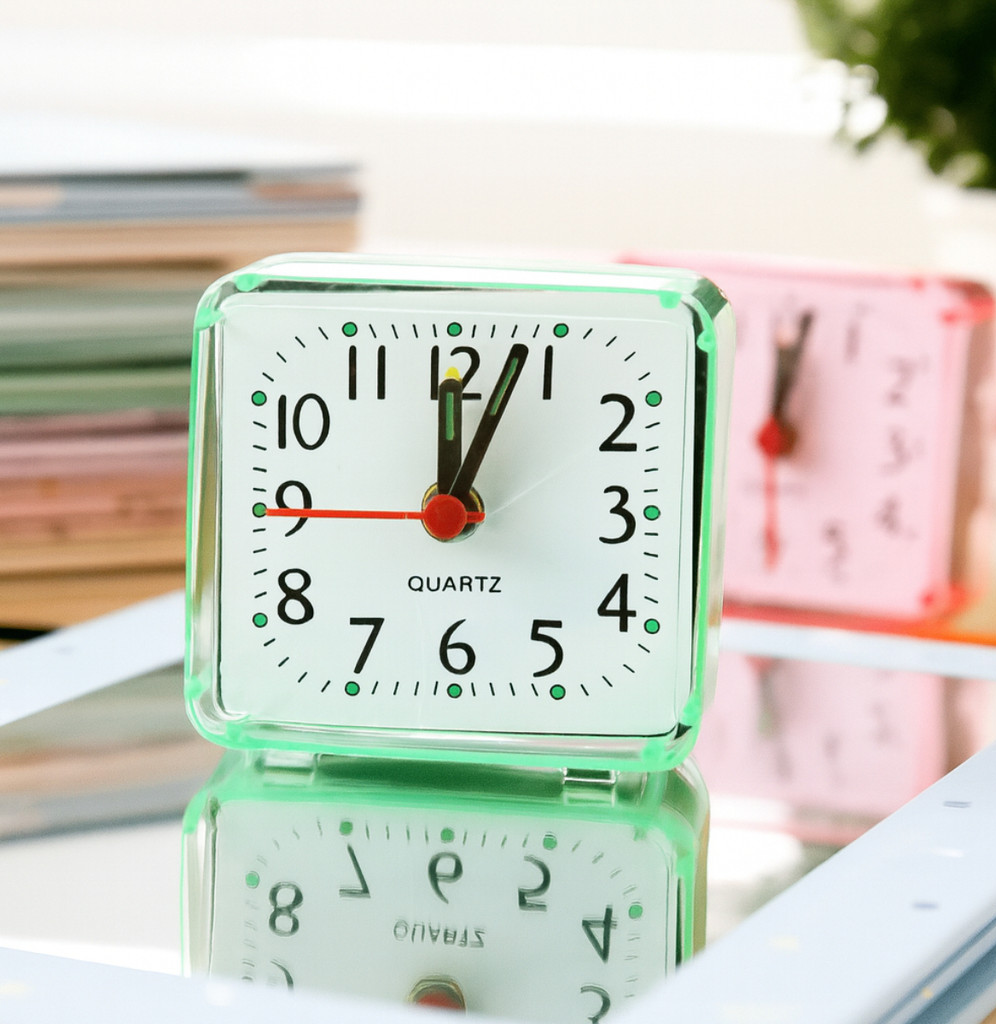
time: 12:03
